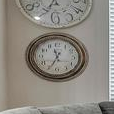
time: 11:34
